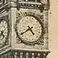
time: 4:39
